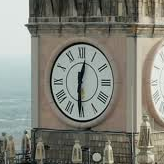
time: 12:30
